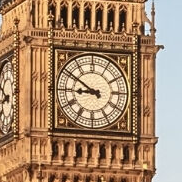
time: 8:50
